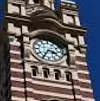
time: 3:35
